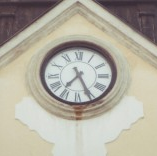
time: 7:25
